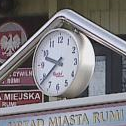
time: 9:38
